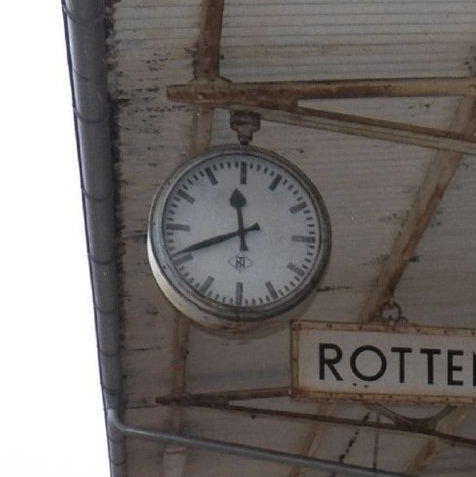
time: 11:41
